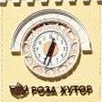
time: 6:32
